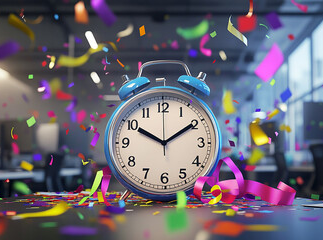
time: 10:09
